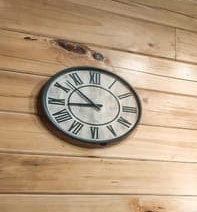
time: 8:52
